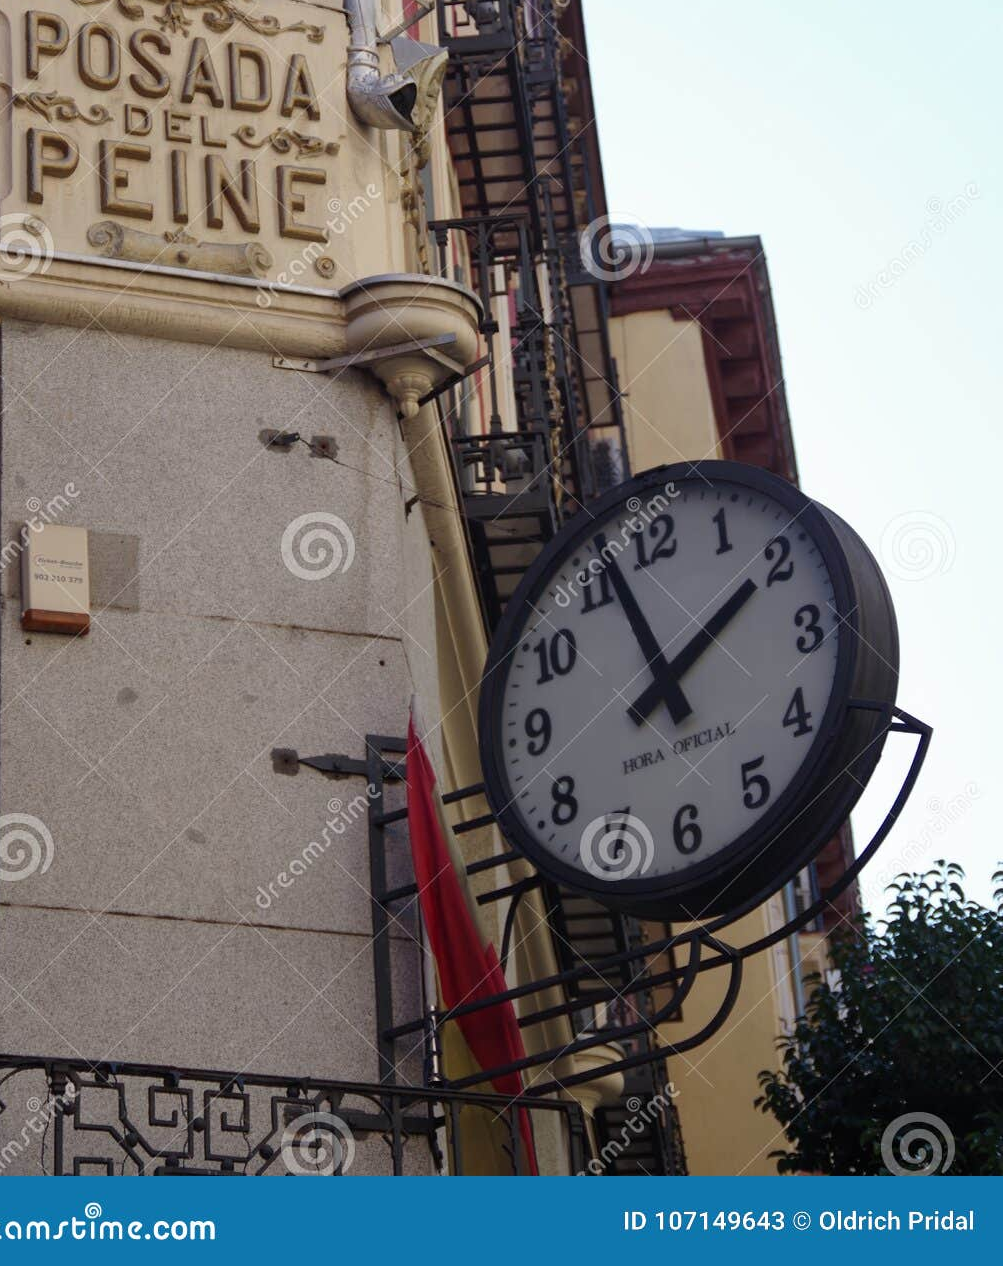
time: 1:56
